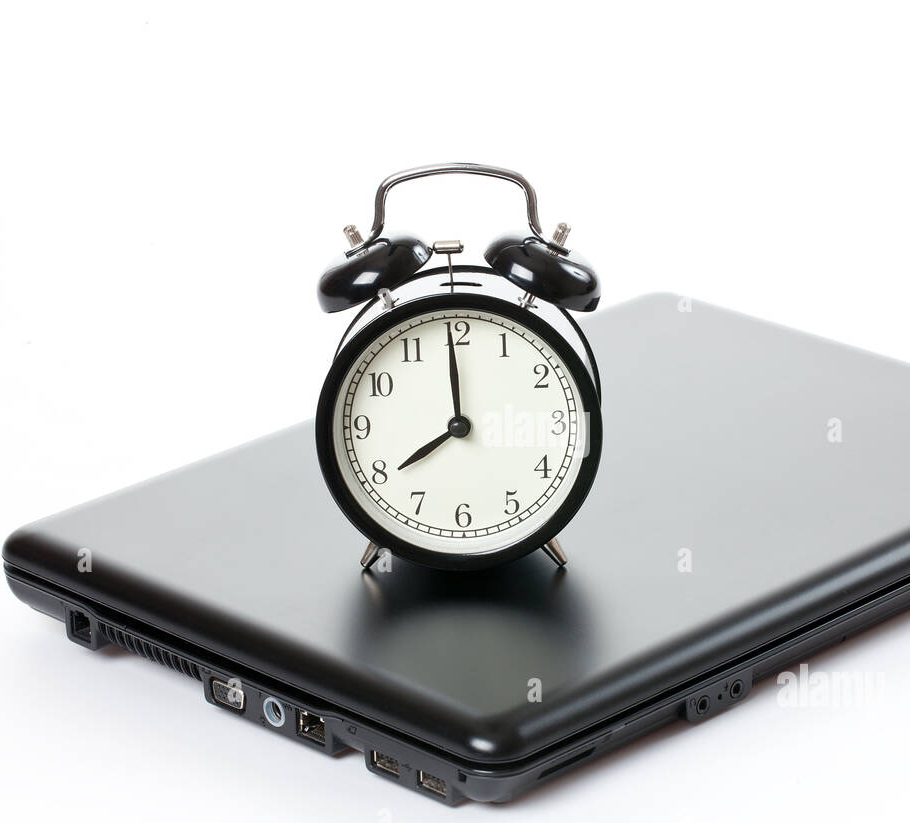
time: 7:59
